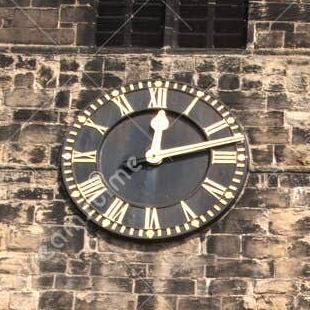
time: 12:12
